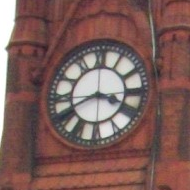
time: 3:40
